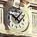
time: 10:07
